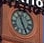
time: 11:25
